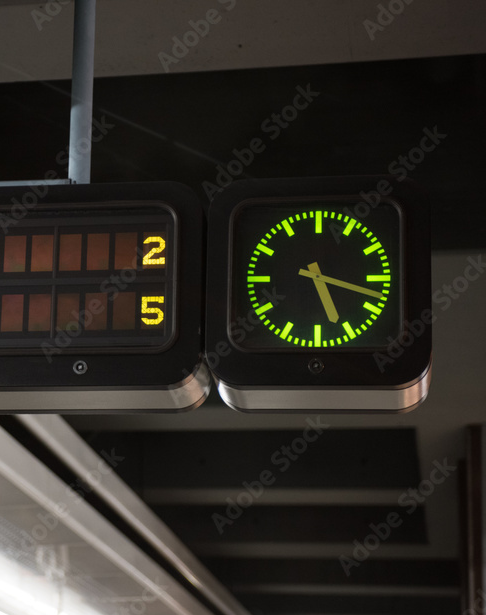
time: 5:18
